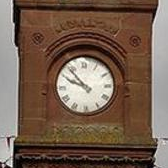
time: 9:53
